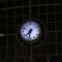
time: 7:32
